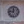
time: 11:46
